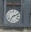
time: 7:10
